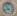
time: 10:42
